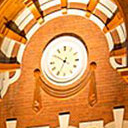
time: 6:50
